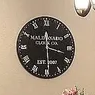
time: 3:29
